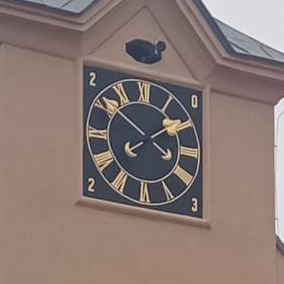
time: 1:50
